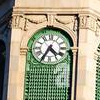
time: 4:35
